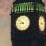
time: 8:51
